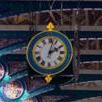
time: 2:02
